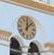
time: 12:07
